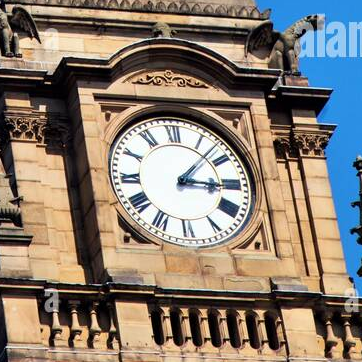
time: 3:07
